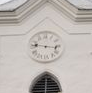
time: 9:16
